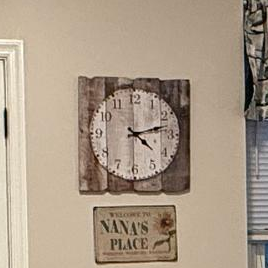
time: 4:12
